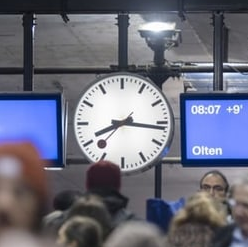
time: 8:16
